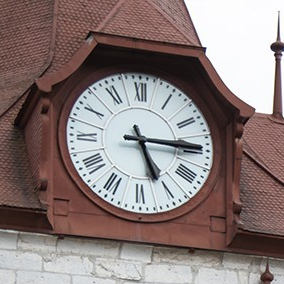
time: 5:14
